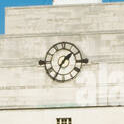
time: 1:34
